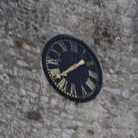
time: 1:38
